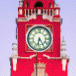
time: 6:24
